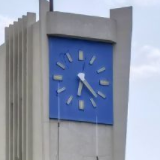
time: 6:22
